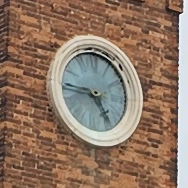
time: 4:45
